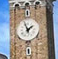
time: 1:56
